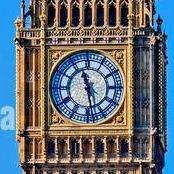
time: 11:28
